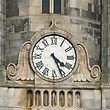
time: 4:26
